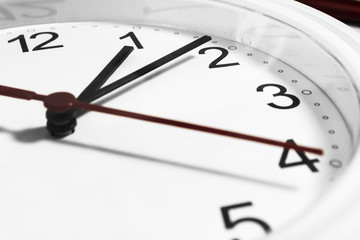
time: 1:08
